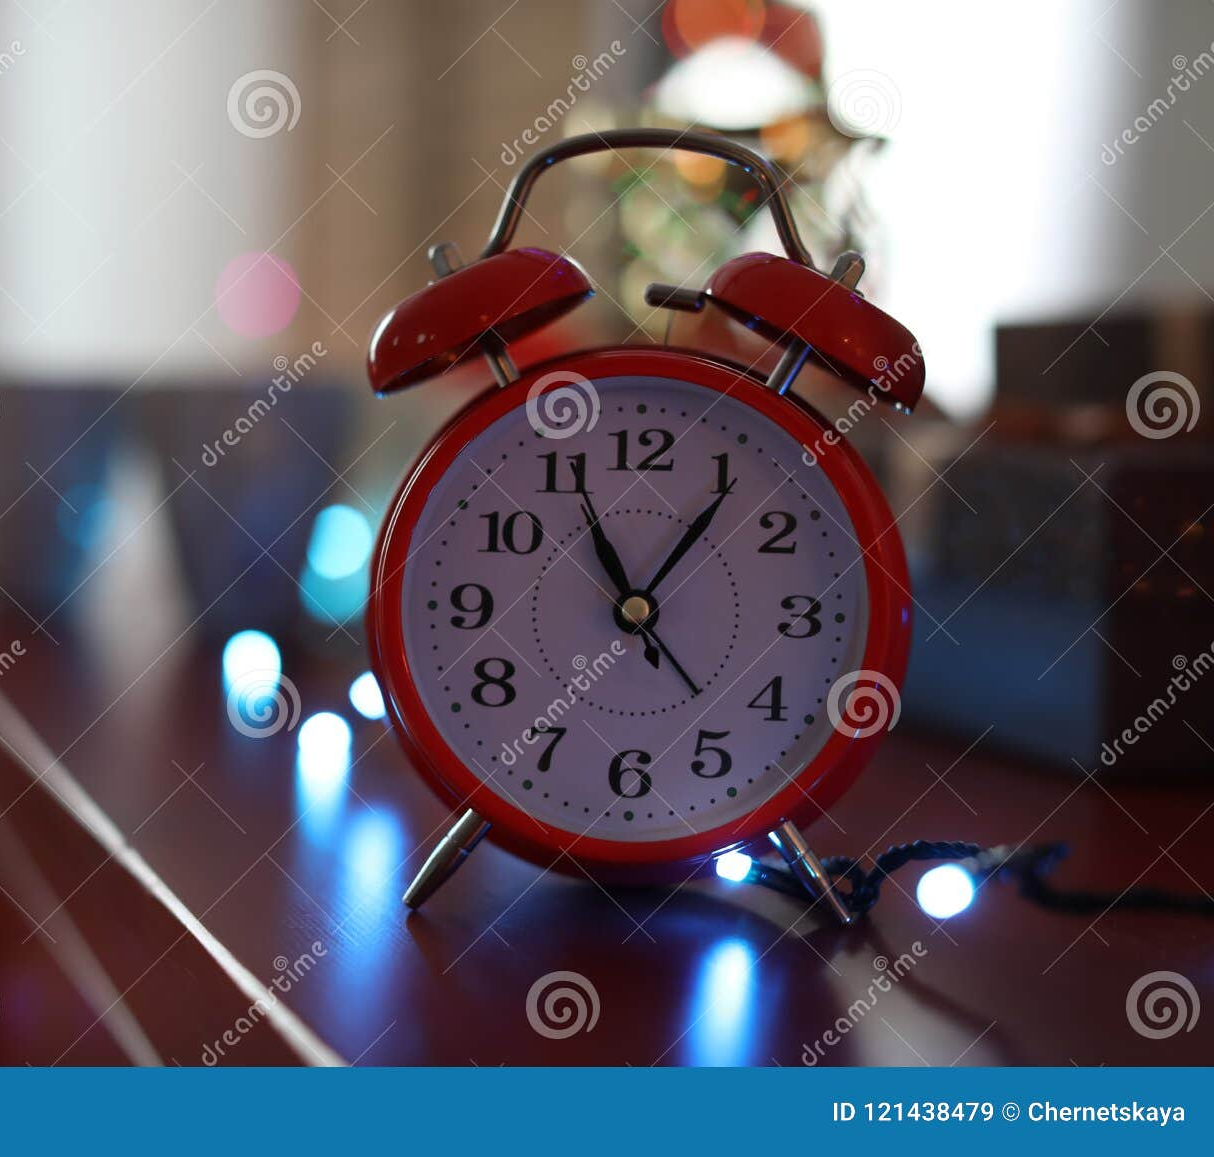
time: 11:06
